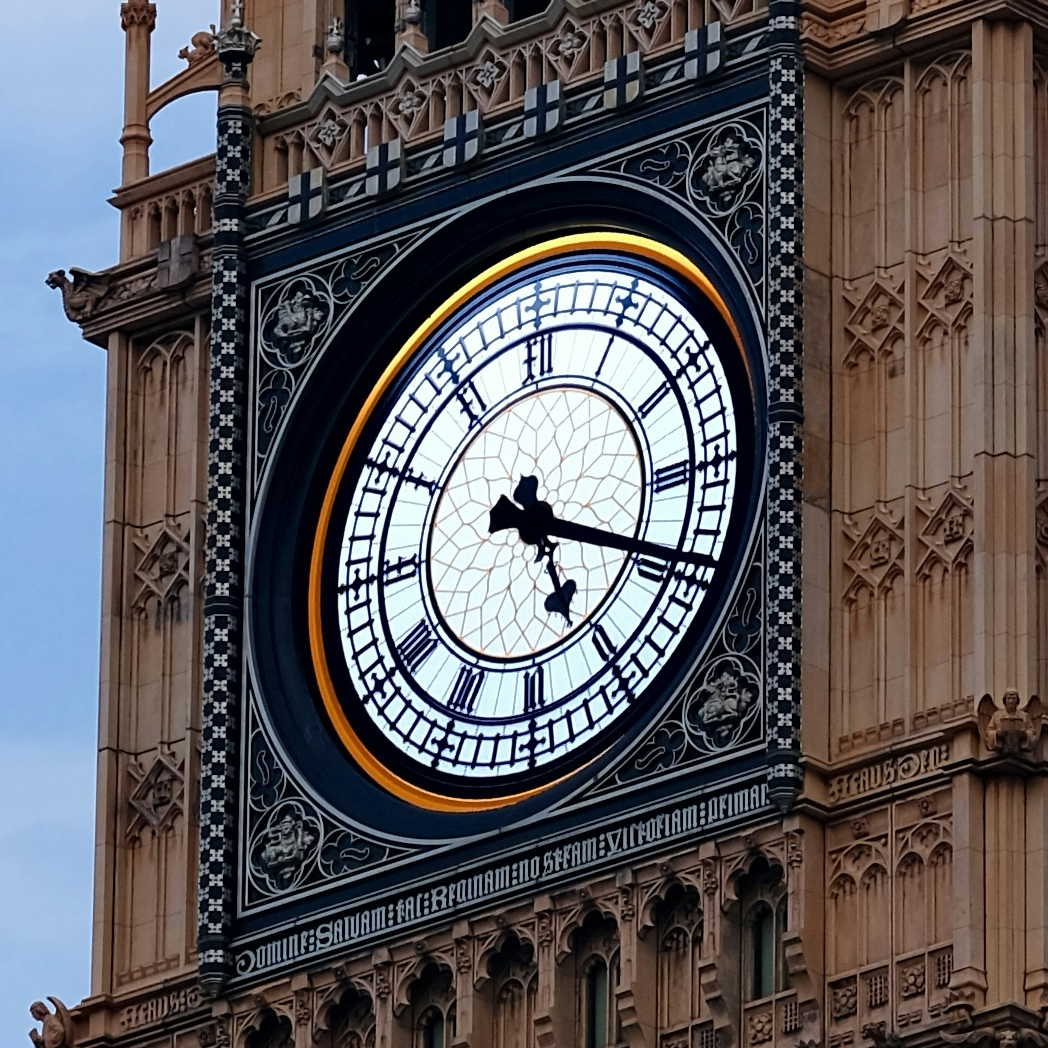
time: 5:18
